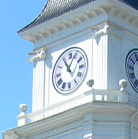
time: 11:04
